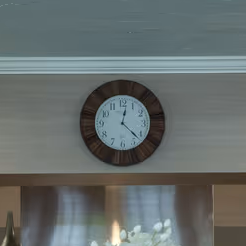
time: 12:22
